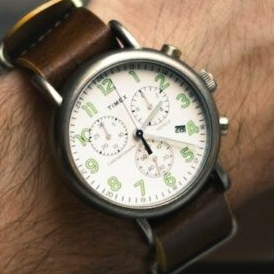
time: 5:06
